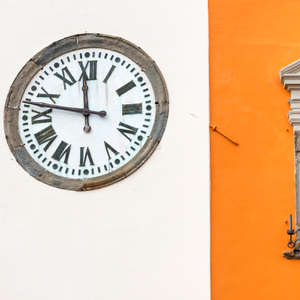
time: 11:47
